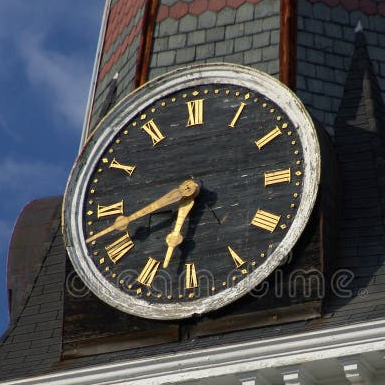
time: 6:42
